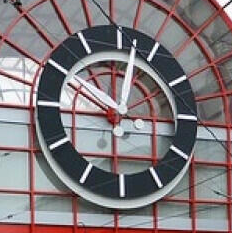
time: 10:02
